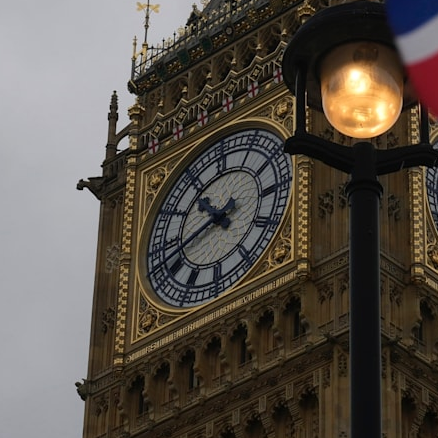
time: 10:42
